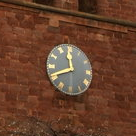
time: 11:41
